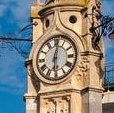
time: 6:01
